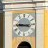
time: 8:45
